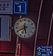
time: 5:40
